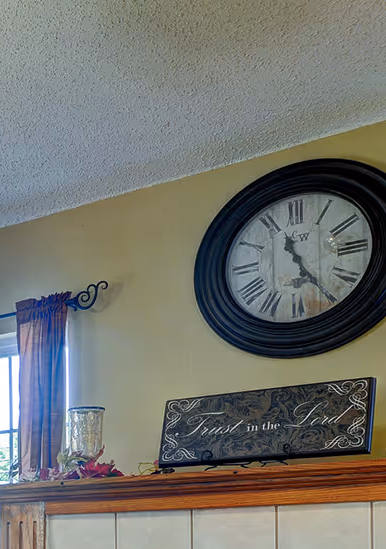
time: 11:24
